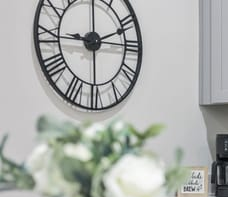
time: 9:11
